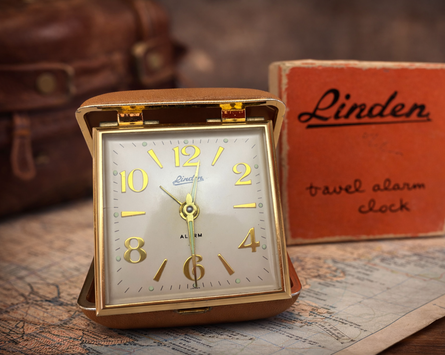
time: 10:30
